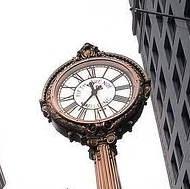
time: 11:36
